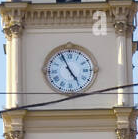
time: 4:56
